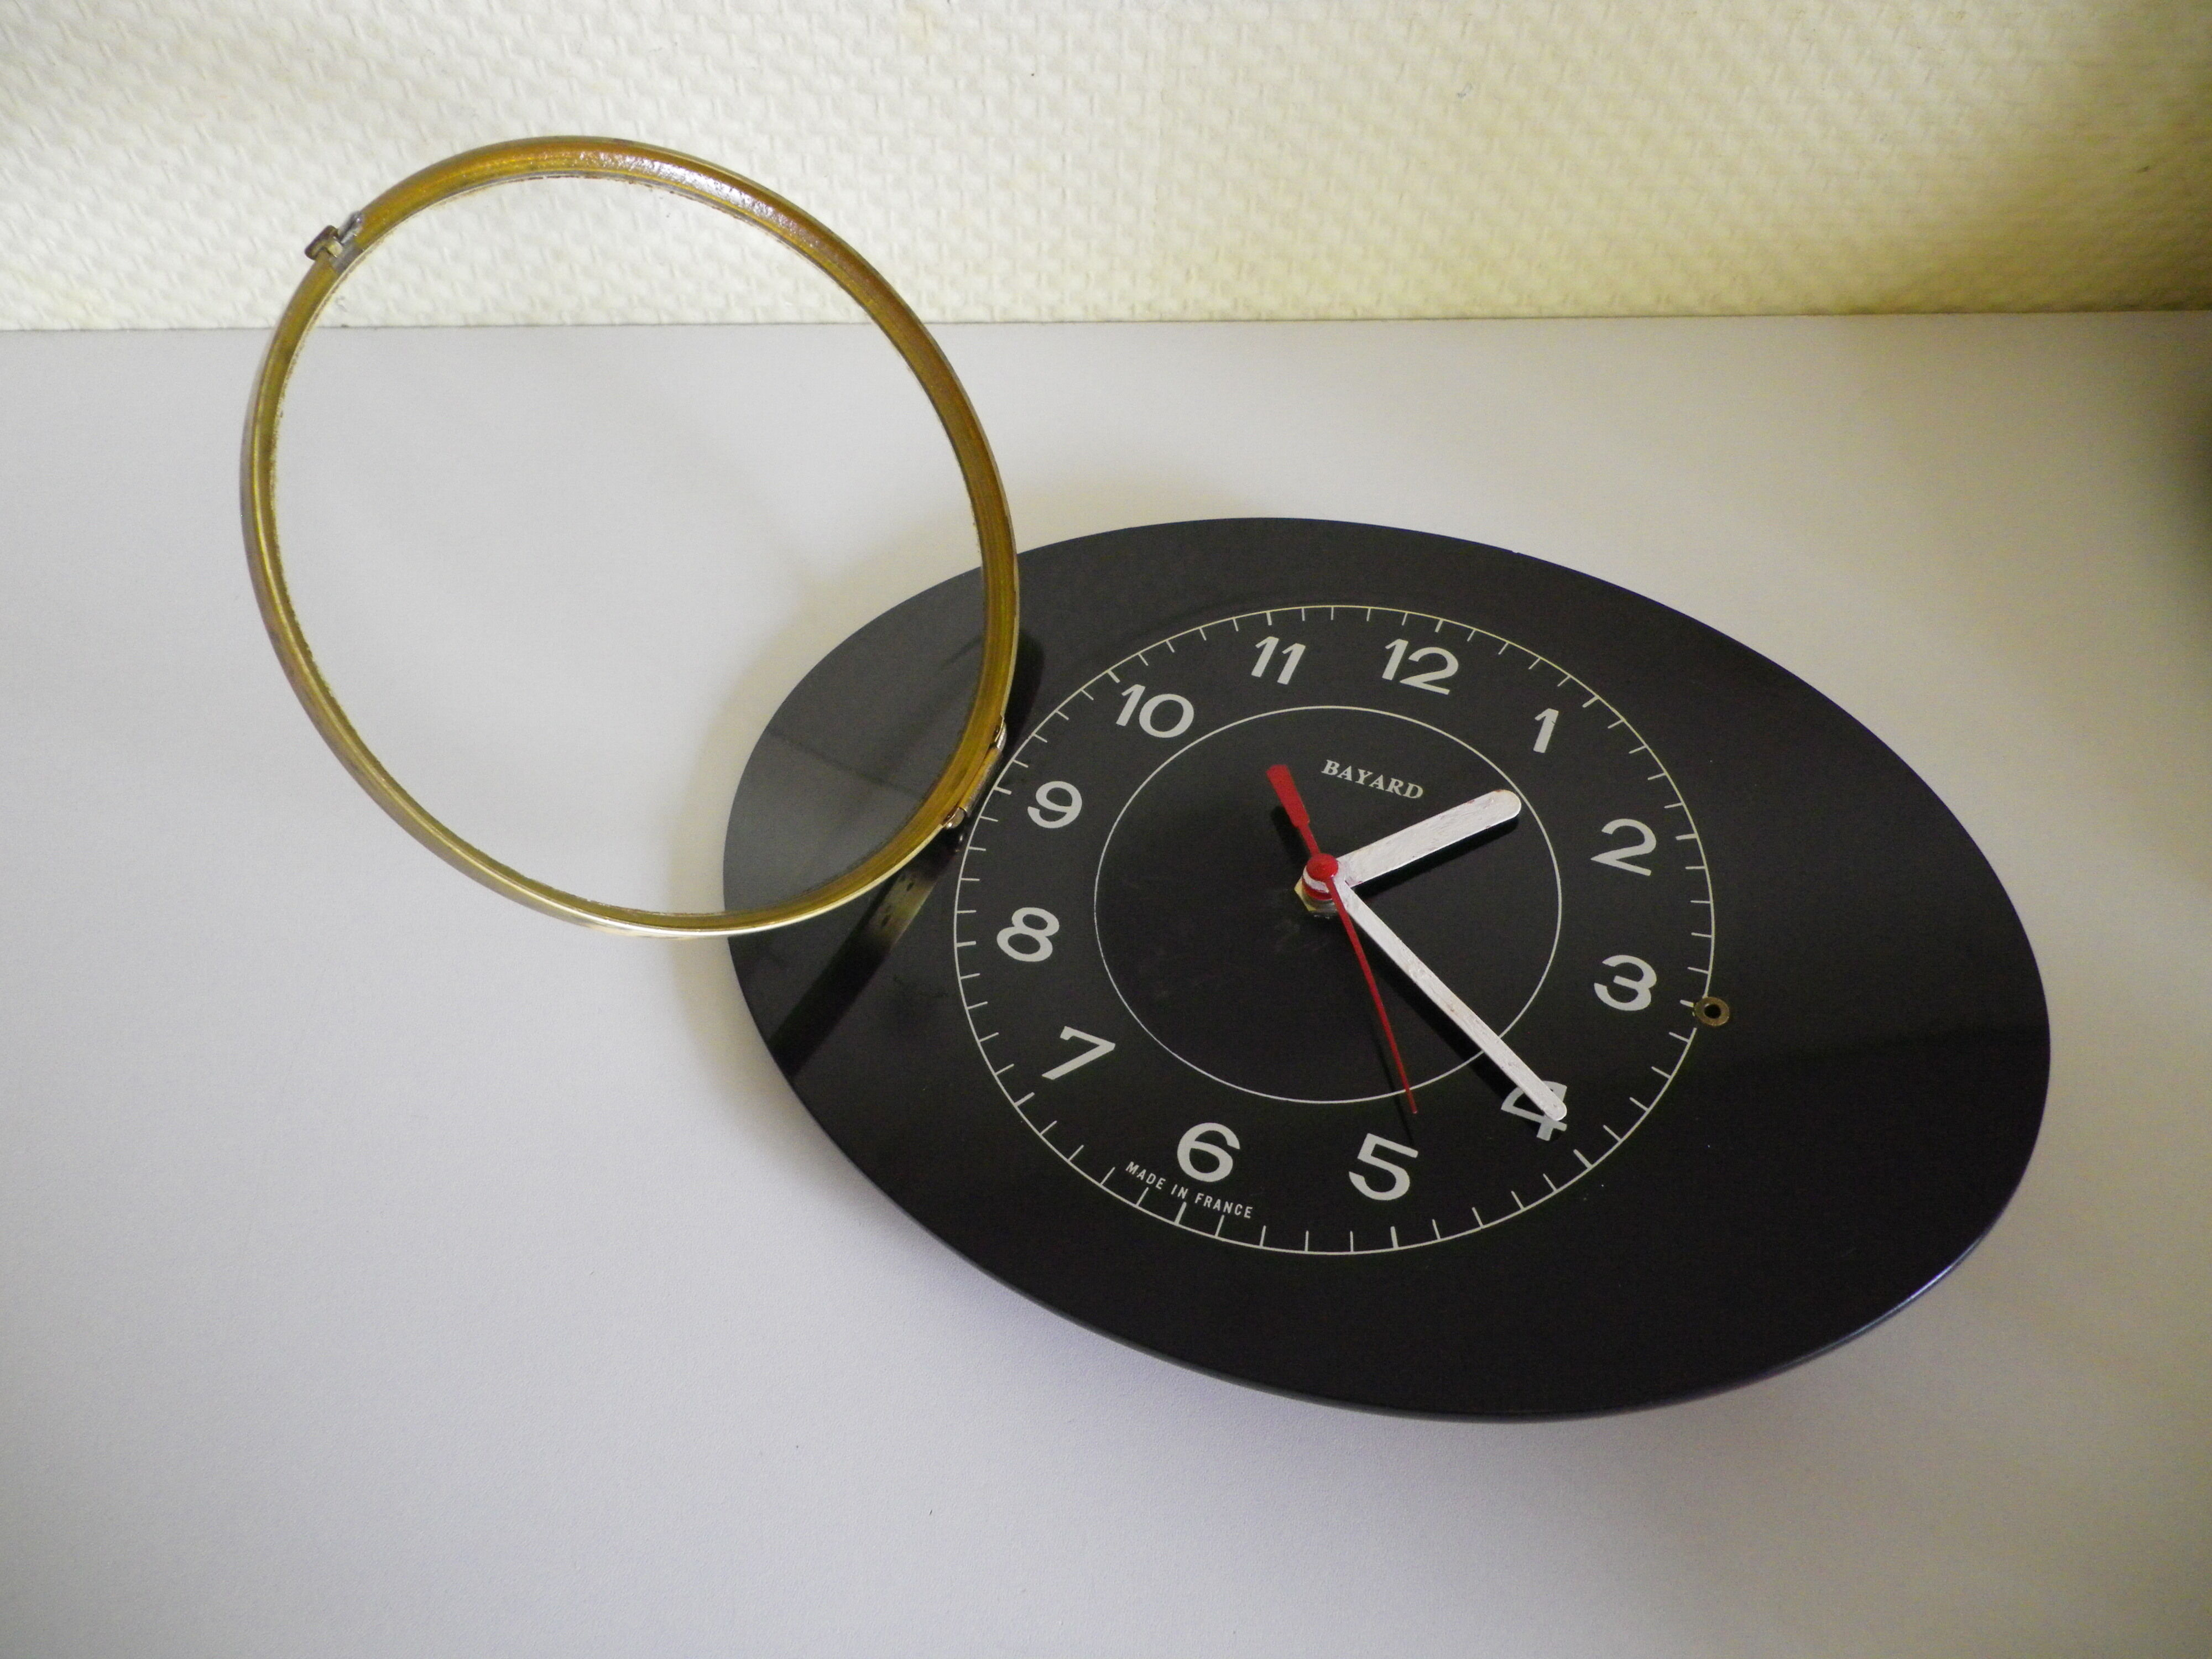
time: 1:19
